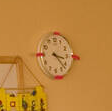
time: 3:22
